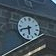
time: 5:41
